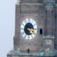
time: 5:15
